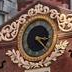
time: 3:22
